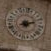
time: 8:12
